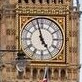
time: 4:57
